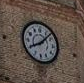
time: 8:07
